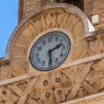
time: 2:29
